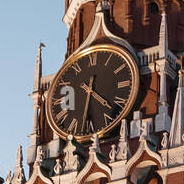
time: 4:31
